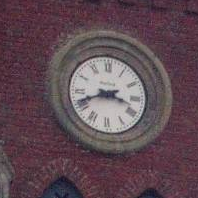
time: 3:41
